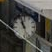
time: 10:56
